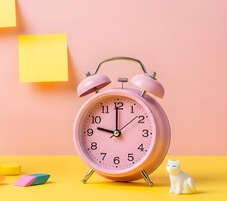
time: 8:59
